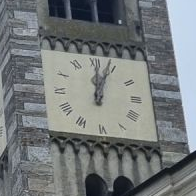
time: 12:03
